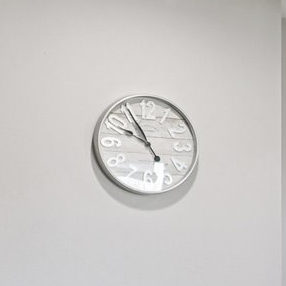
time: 9:54
